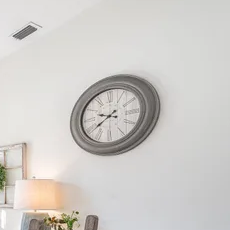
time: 9:39
